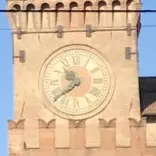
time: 10:39
